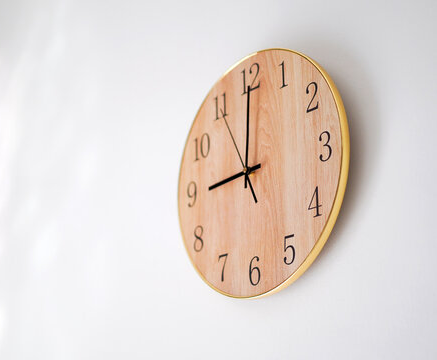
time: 9:00
